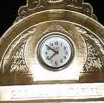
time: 7:50
